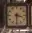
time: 3:30
